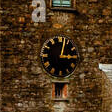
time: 3:02
